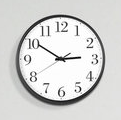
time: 2:50
